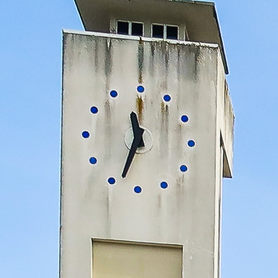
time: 11:33
